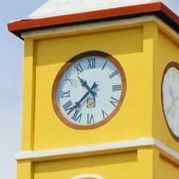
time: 10:37
